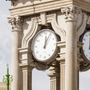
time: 12:04
